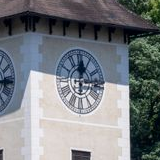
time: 12:14
